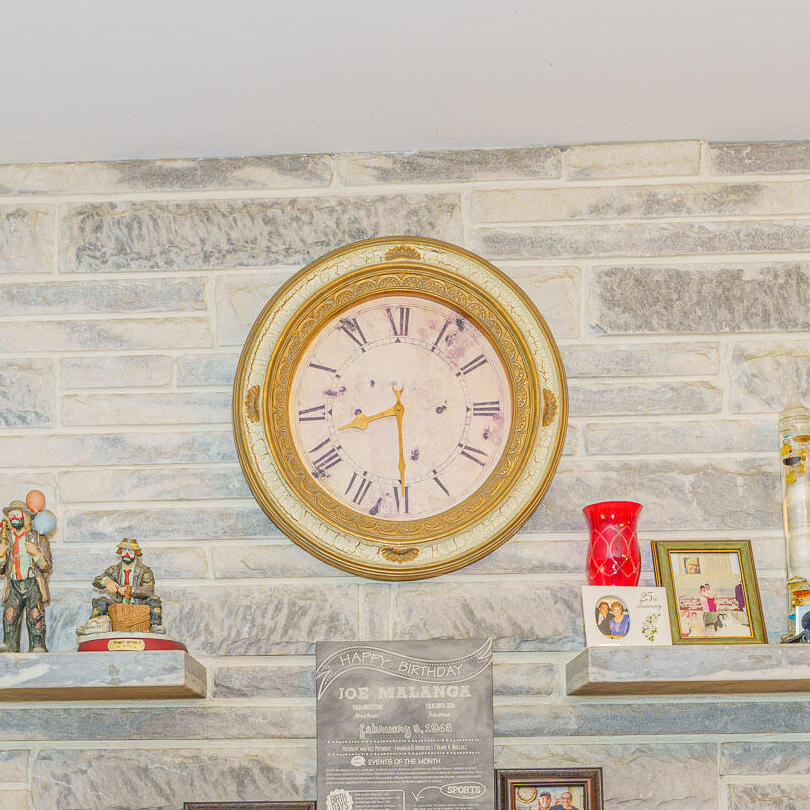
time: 8:29
